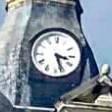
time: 3:26
